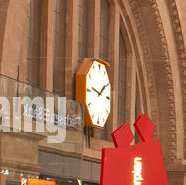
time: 1:46
